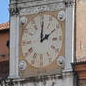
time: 2:00
